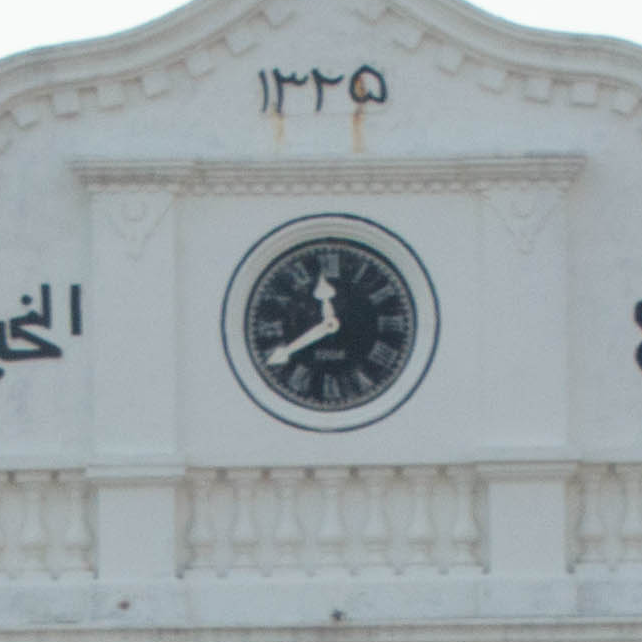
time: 11:40
